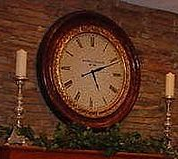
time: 5:11
